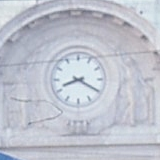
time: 8:19
